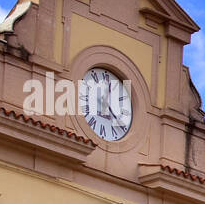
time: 4:01
